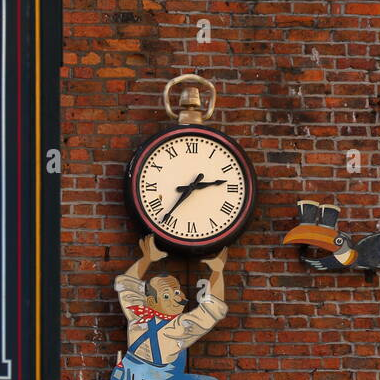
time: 2:36
